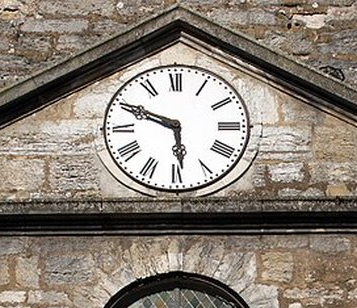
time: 5:49
